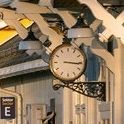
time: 3:15
